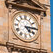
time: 4:14
